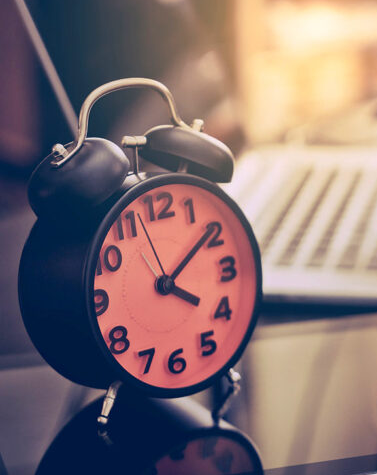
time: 4:09
